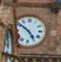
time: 4:50
